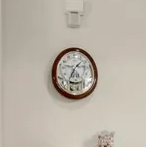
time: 1:33
